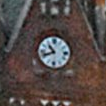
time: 10:41
